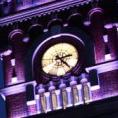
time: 2:21
